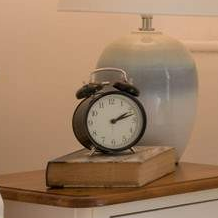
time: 2:11
